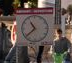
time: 10:38
